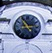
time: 2:54
